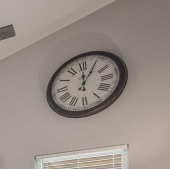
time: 12:04
